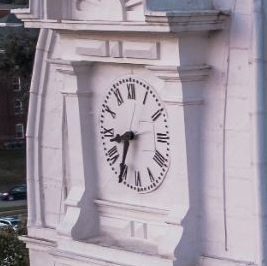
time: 8:35
